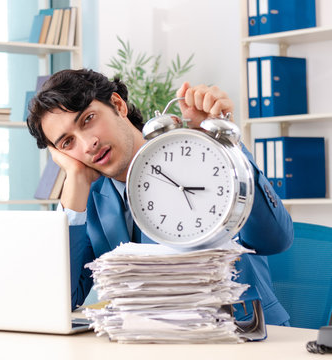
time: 2:50
